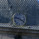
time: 3:47
